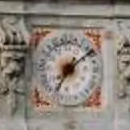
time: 7:08
